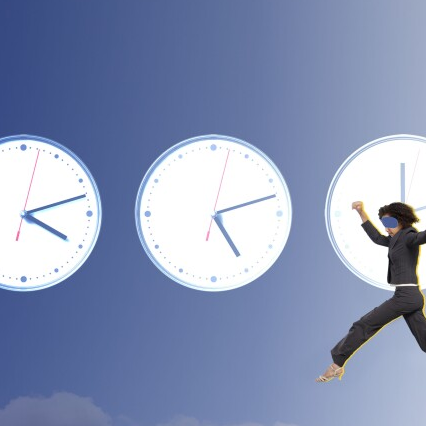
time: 5:12
